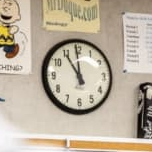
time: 10:59
